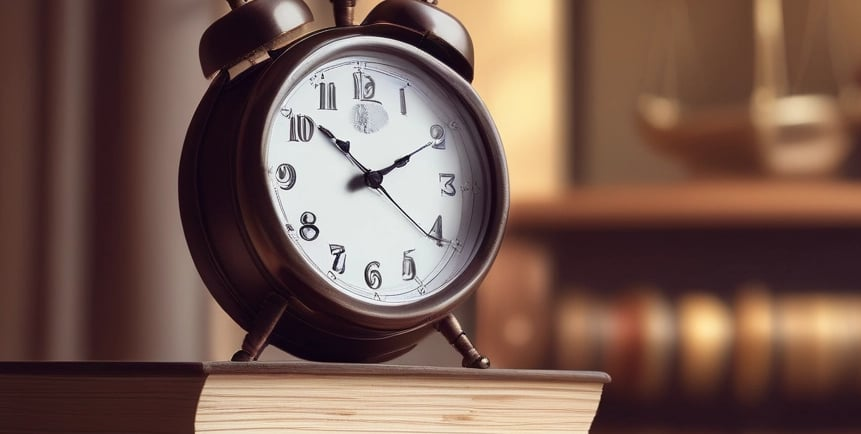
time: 10:10
